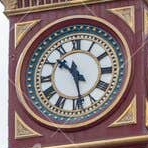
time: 10:28
